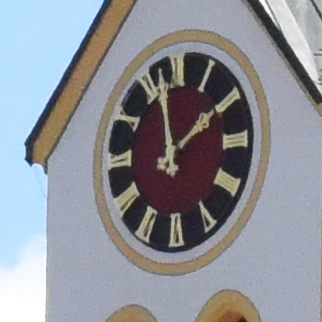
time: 1:57
